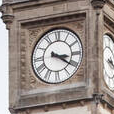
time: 3:20
